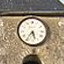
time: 5:35
